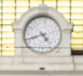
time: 4:41
